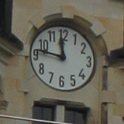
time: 11:46
